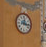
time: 12:16
